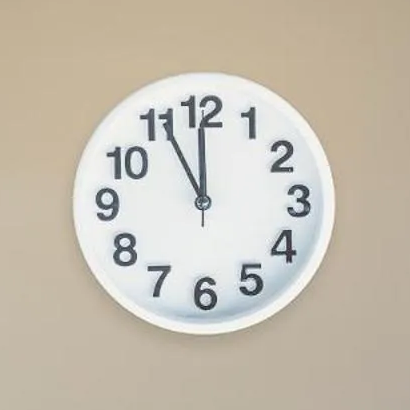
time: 11:55
